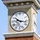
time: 10:17
